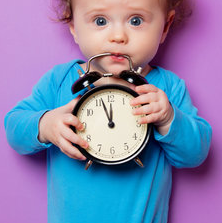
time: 11:56
